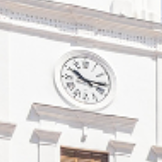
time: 10:15
